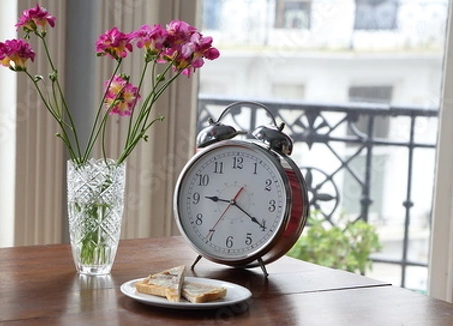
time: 9:20
